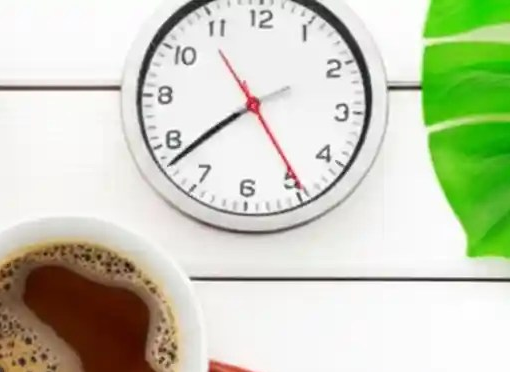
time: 7:38
